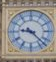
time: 9:22
